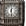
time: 12:28
